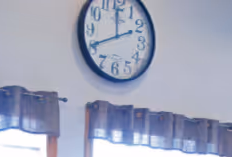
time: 11:40
